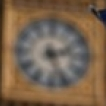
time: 2:26
